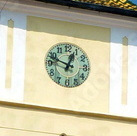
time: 12:48
